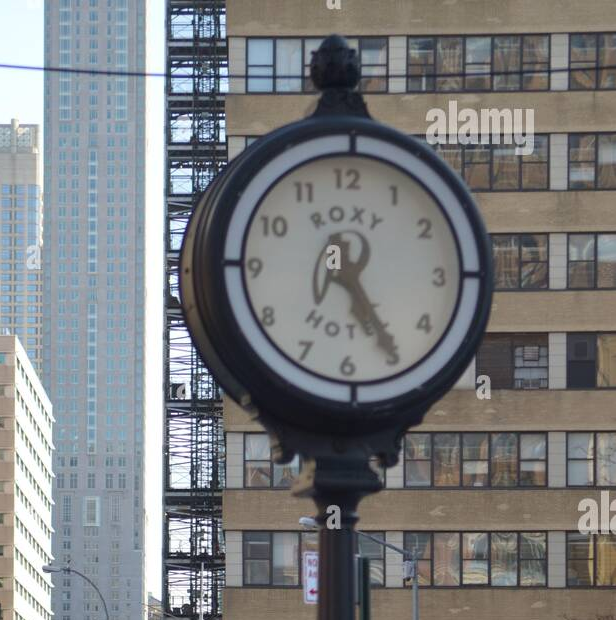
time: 5:24
